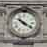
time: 10:20
